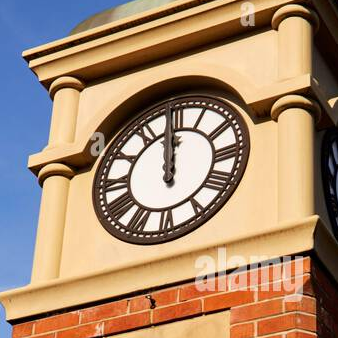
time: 11:59
